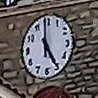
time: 4:59
